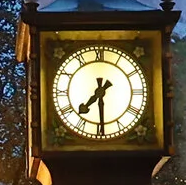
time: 7:29
